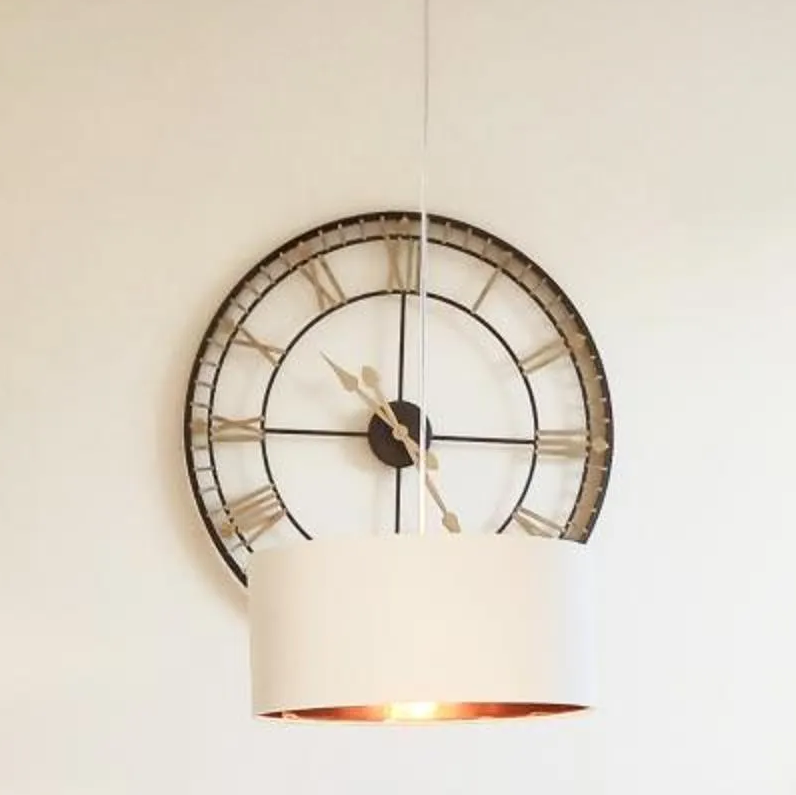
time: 9:00
